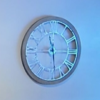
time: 11:28
